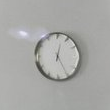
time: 12:25
